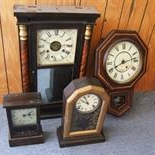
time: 2:40
